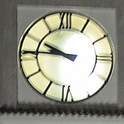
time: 9:45
